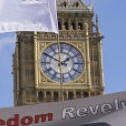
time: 1:50
